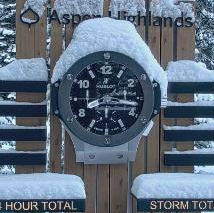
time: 8:16
